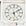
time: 5:09
